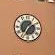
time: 7:08
